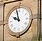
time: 9:57
